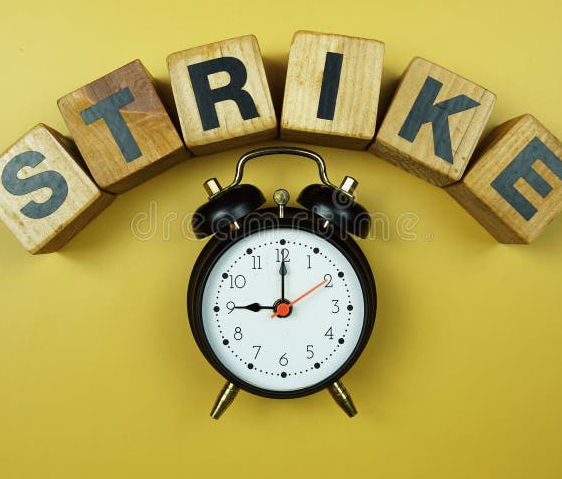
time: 9:00
